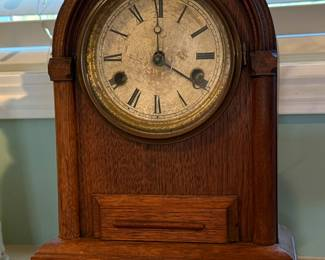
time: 4:00
